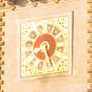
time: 8:26
